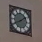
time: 1:40
